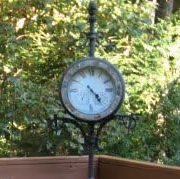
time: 4:23
